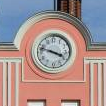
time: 3:47
